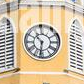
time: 10:32
